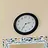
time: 2:35
